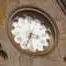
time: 3:33
